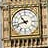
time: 10:42
